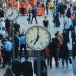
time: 7:01
